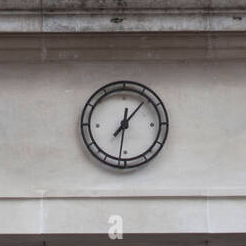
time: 12:06
